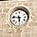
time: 5:46
